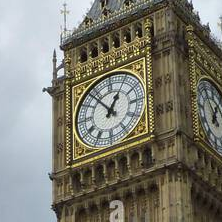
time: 12:53
